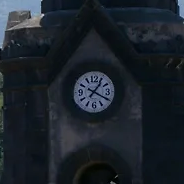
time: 1:19
